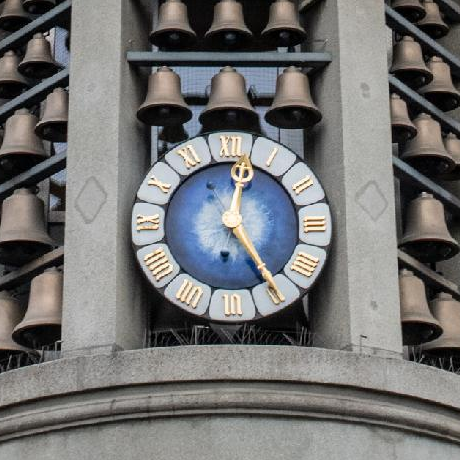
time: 12:24
